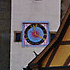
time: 3:58
